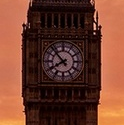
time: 7:52
